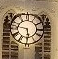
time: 5:46
